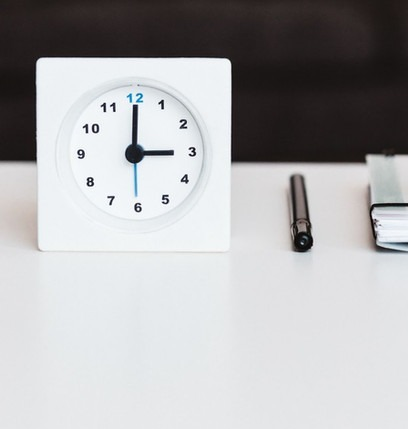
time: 3:00
